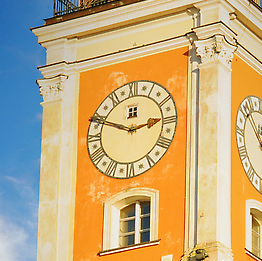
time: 2:47
